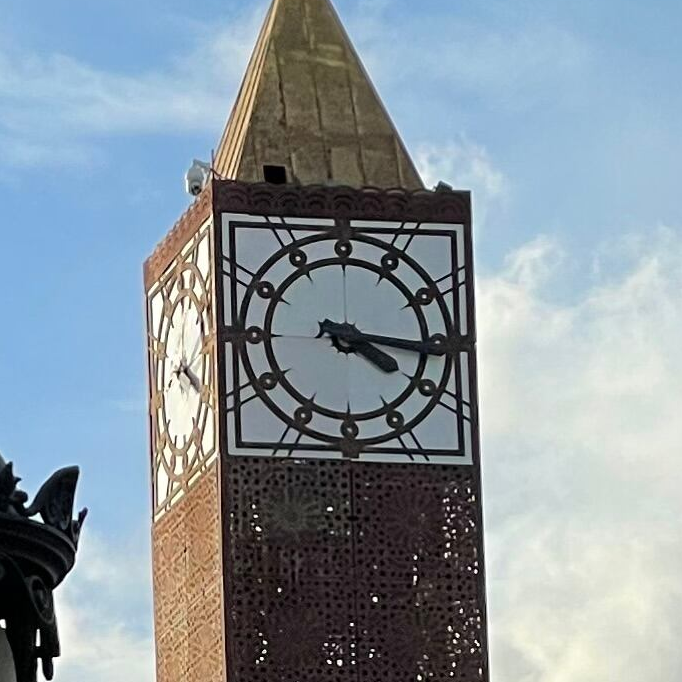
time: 4:16
